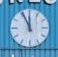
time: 11:55
